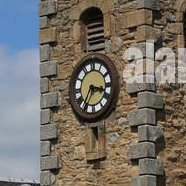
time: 3:35
